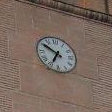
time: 6:50
